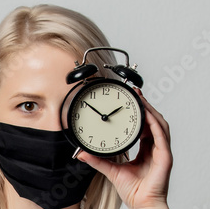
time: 1:51
